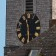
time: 11:29
